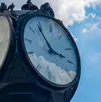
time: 2:53
